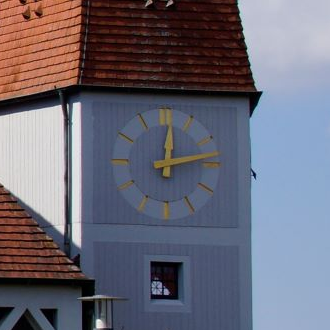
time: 12:13
